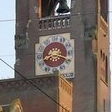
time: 8:18
